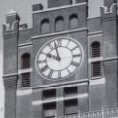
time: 9:57
